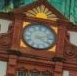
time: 4:12
